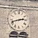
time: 2:42
